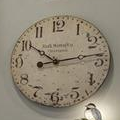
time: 10:13
